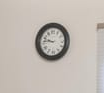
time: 9:46
